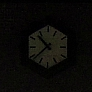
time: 10:38
